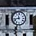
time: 11:42
